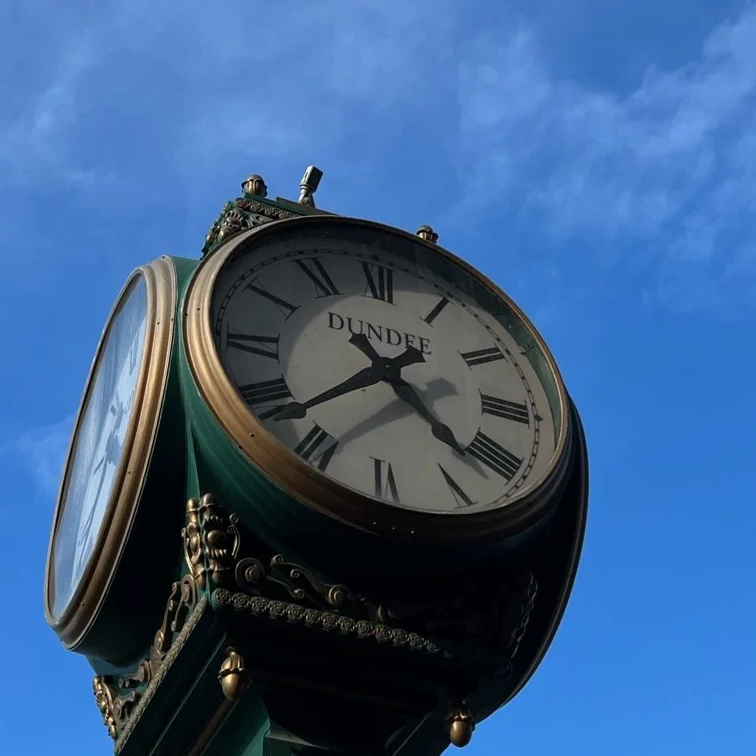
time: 10:37
